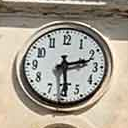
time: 2:29
